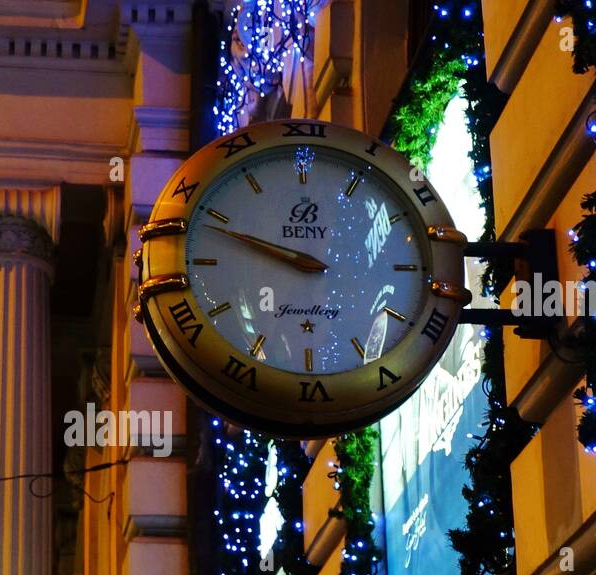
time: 9:48
